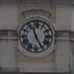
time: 11:25
